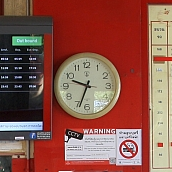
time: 9:33
